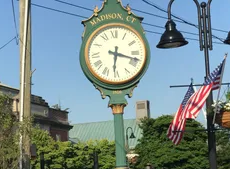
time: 6:18
